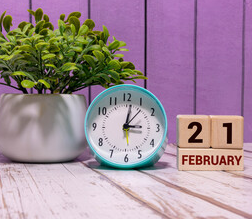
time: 3:01
